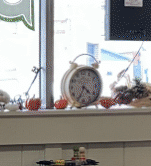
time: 4:34
